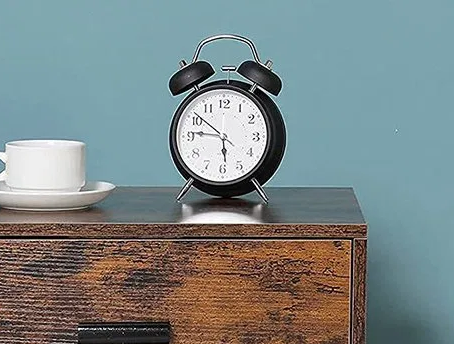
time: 5:51
